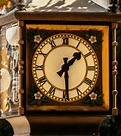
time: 1:29
